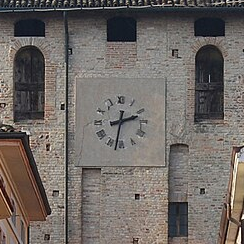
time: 2:32
